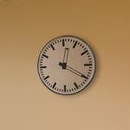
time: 12:19
